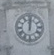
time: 12:01
